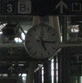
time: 5:15
